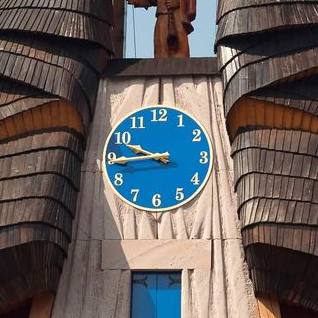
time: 9:44
